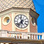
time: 11:36
